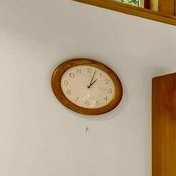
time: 1:02
